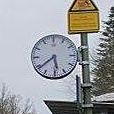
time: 5:39
